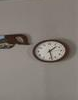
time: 1:28
